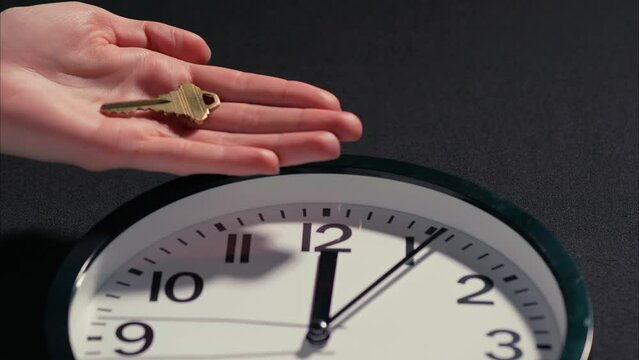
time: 12:05
